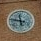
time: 11:46
